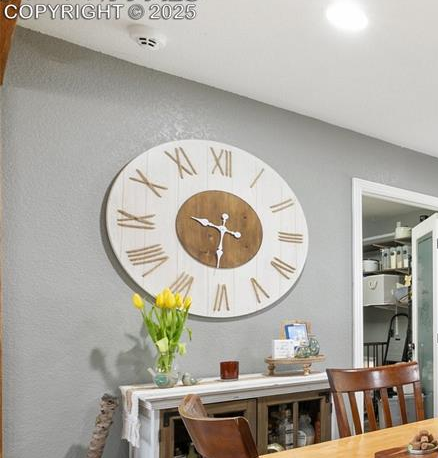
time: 9:31
